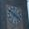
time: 3:50
